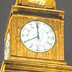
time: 7:59
